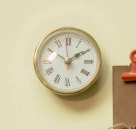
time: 1:50
